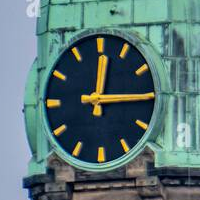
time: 12:15
